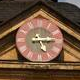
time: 5:14
